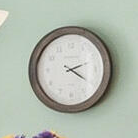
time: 2:20
